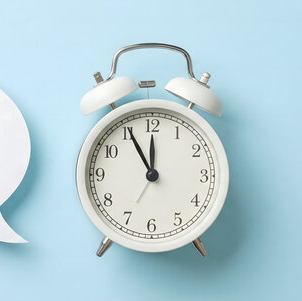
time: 11:55
